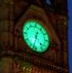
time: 12:32
